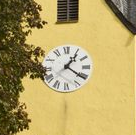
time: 1:20
